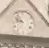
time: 9:53
